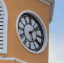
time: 5:08
